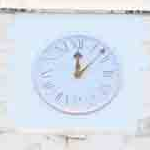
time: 12:07
